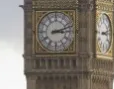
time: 3:12
